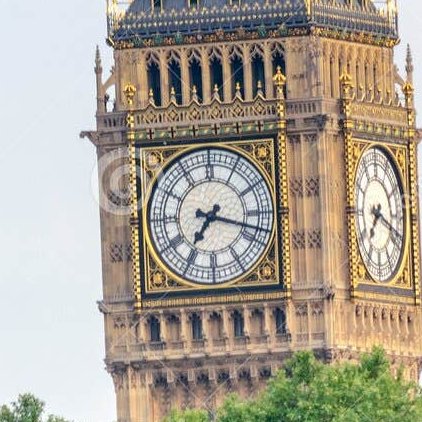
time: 7:17
